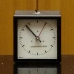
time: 12:53
